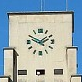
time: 1:49
